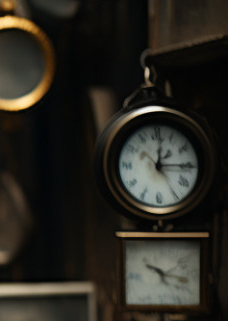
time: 12:14
